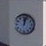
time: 12:03
